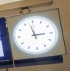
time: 2:57
